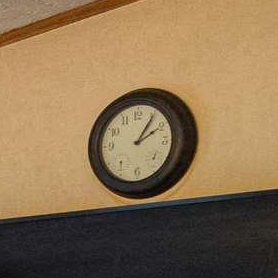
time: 2:05
